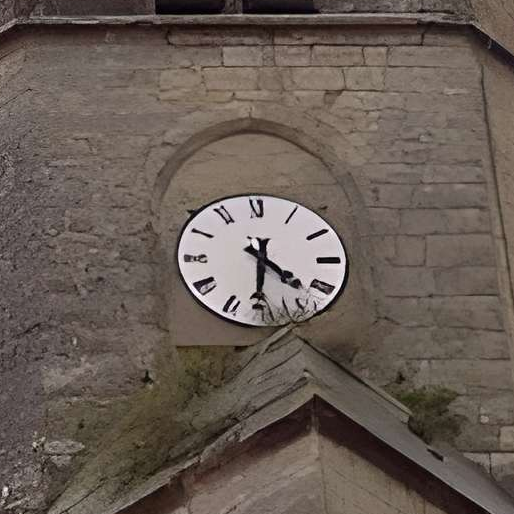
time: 4:31
